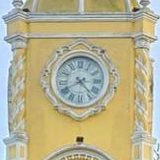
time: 4:40
